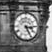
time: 3:25
